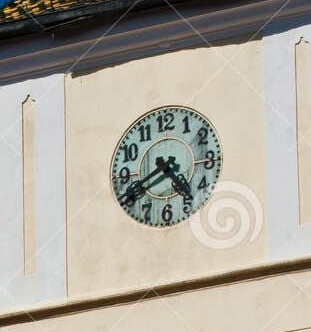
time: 4:40
